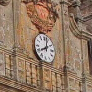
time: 8:01
